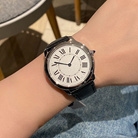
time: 12:46
